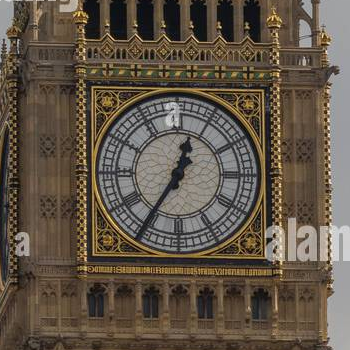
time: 12:35
